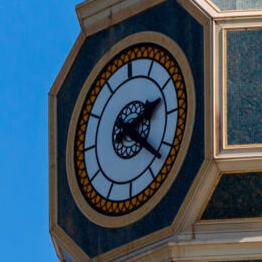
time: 2:21
